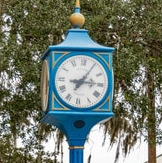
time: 7:14
